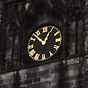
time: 12:52
